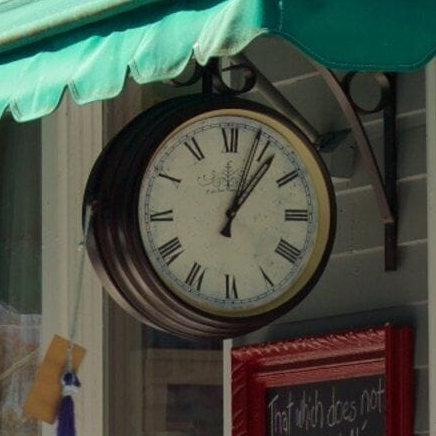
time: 1:03
